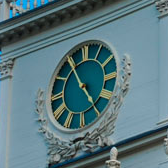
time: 4:55
